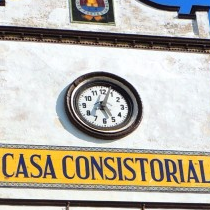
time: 5:03
